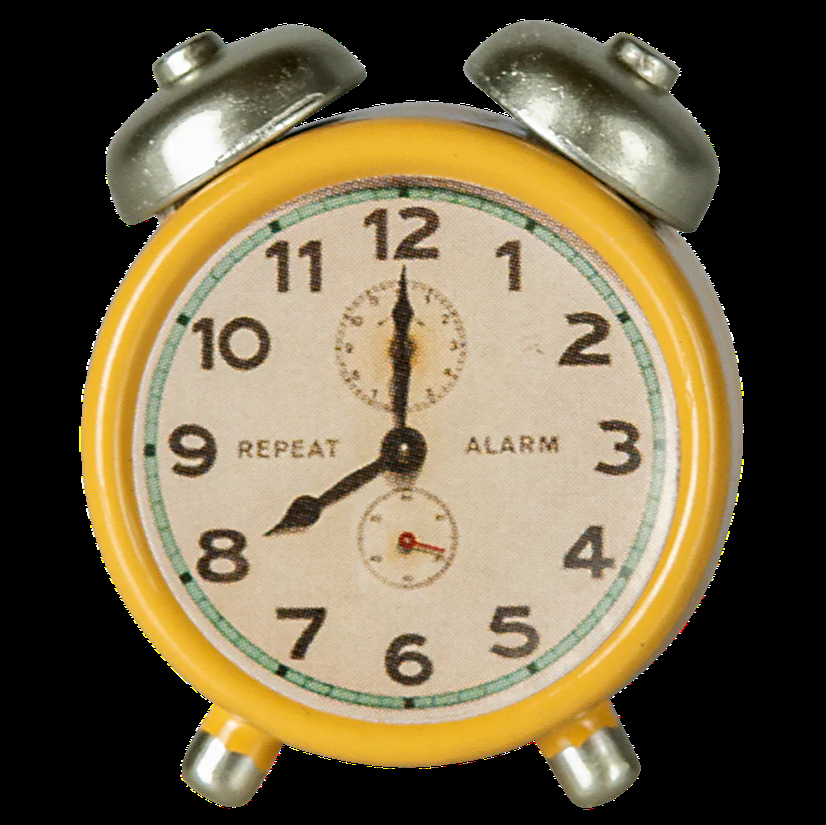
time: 8:00
